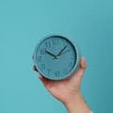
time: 10:07
